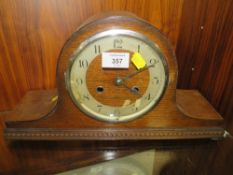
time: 4:10
